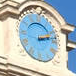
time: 2:12
